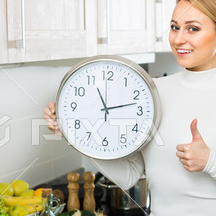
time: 11:12
